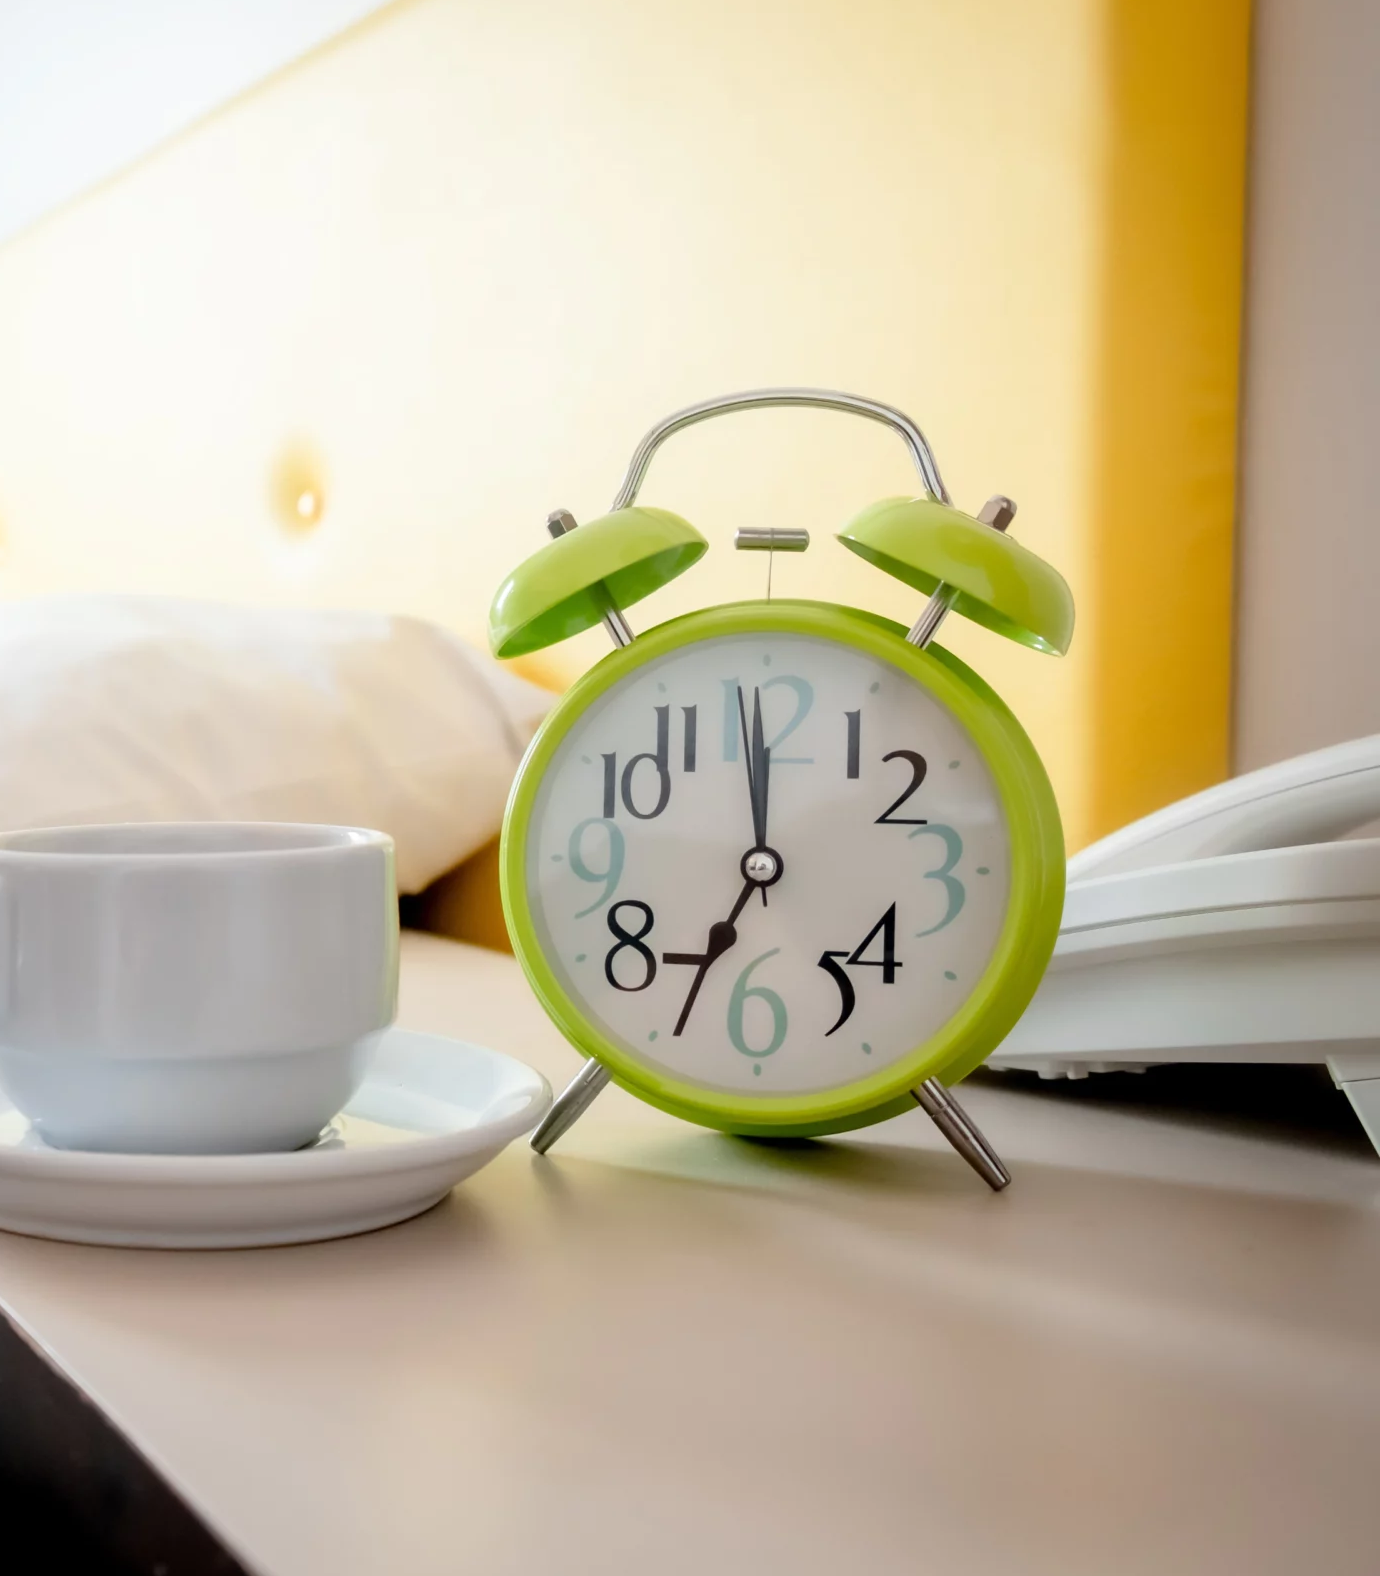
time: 6:59
